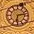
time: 6:13
